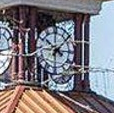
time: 10:07
